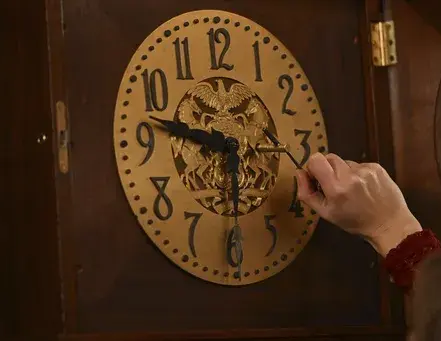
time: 9:30
